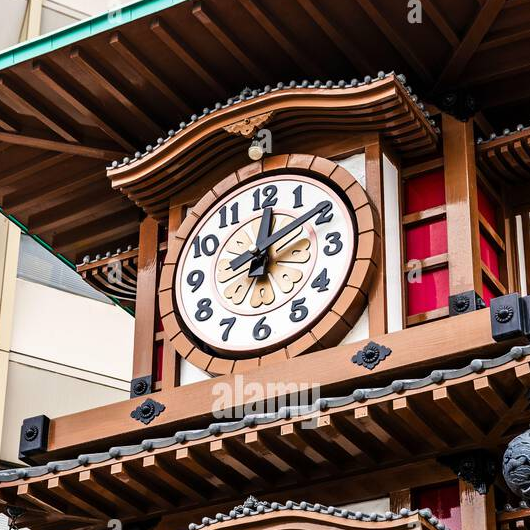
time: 12:09
